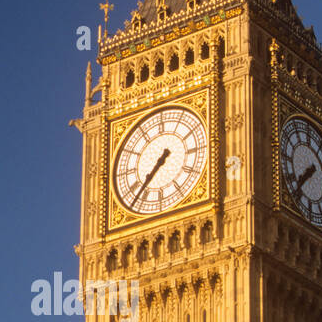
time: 7:37
